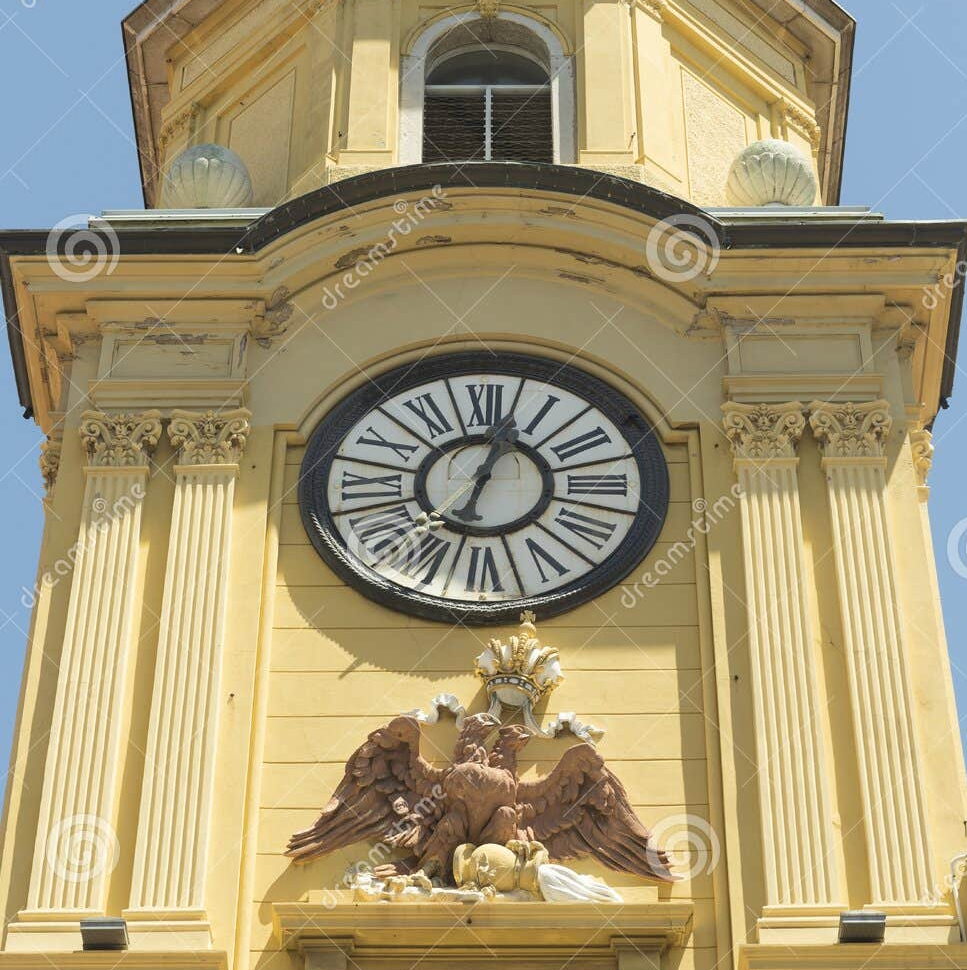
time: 12:33
